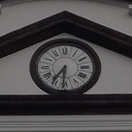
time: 7:31
